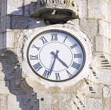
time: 4:33
